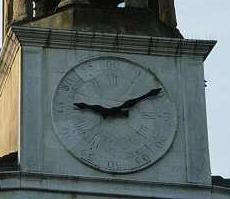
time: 9:09
